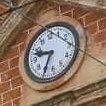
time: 9:34
